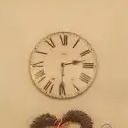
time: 2:30
